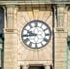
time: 9:44
